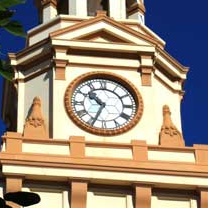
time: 10:34
